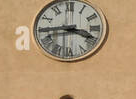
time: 3:44
